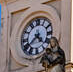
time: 4:38
